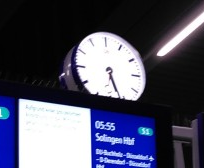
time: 5:26
